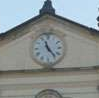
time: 11:23
